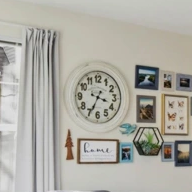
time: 3:34
